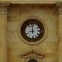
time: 9:01
